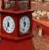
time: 11:33
